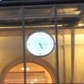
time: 5:15
